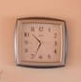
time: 10:34
